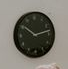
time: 10:12
